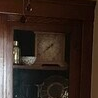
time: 1:39
